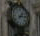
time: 1:13
